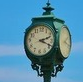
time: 2:18
